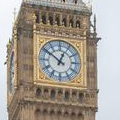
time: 12:51
